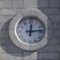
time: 12:13
